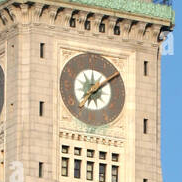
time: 12:09
